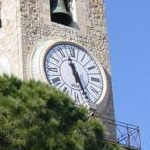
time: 11:26
